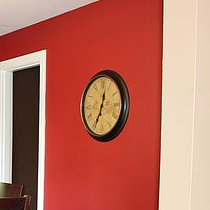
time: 12:34
